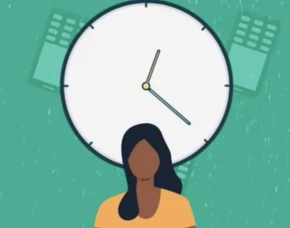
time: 12:20
